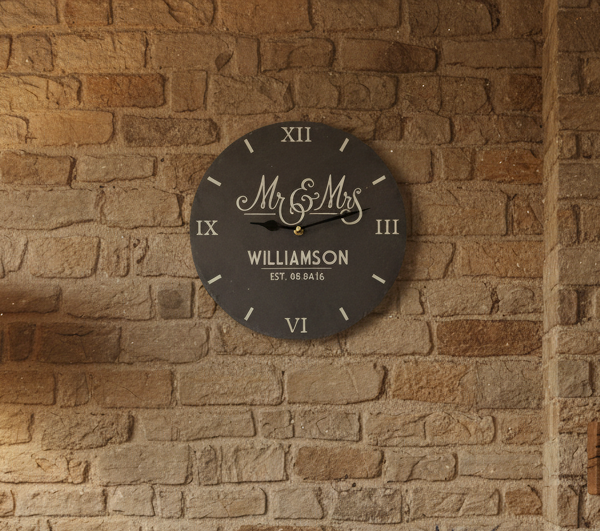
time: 9:13
